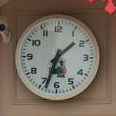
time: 1:33
